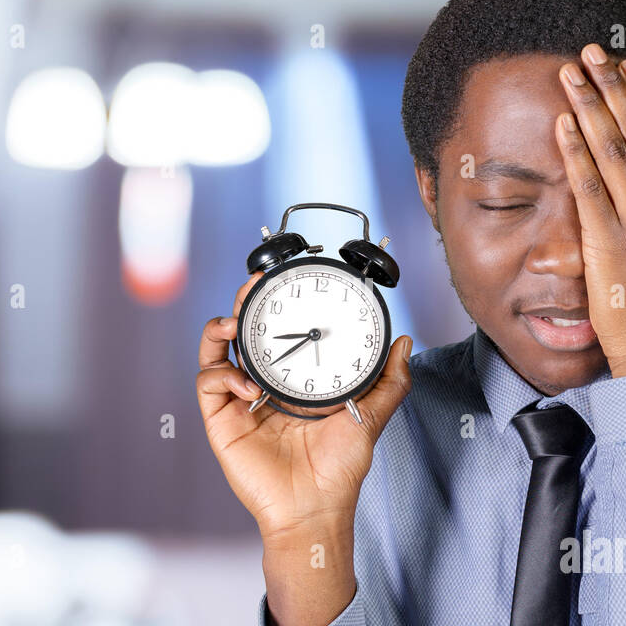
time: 8:38
